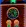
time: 12:24
